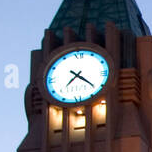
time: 7:21
